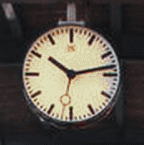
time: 10:13
